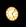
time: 5:06
